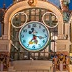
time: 7:16
